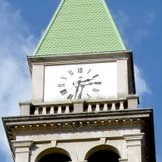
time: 2:32
